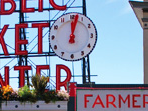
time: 12:02
